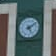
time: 5:09
